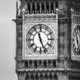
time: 11:26
